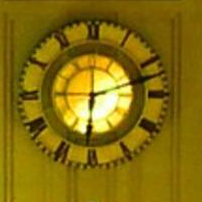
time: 6:12
